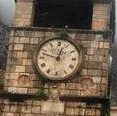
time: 12:47
